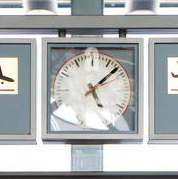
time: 5:08
